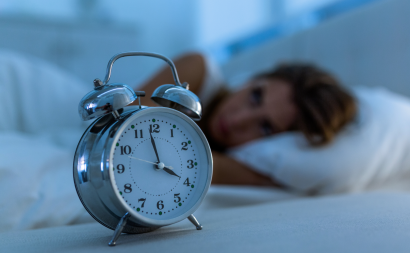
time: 3:58
